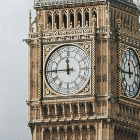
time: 11:44
